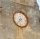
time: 7:37
